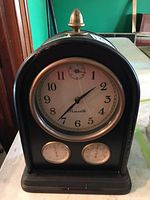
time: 1:36
